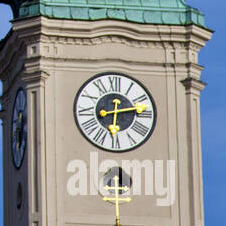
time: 6:13
